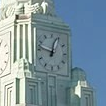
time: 12:47
